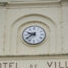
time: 9:38
